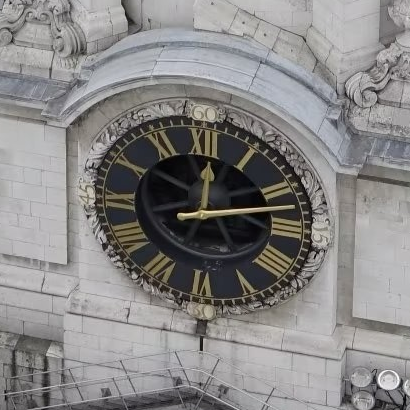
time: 12:12
